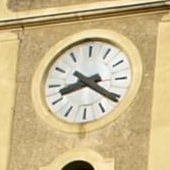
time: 8:20
